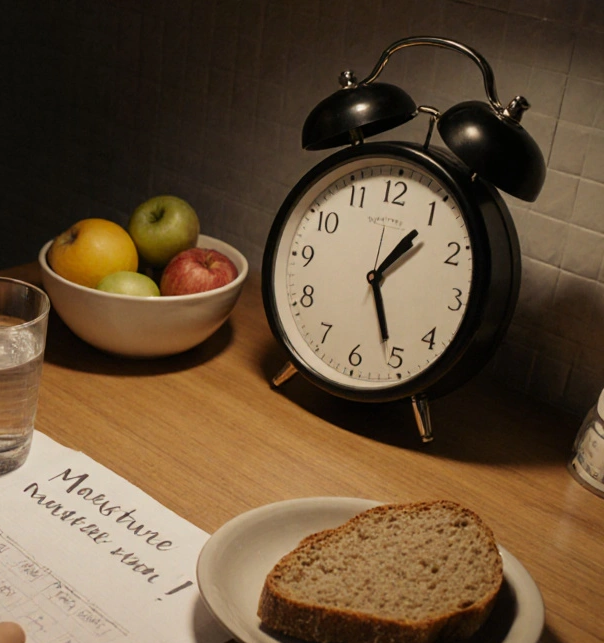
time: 1:25
